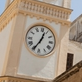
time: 12:34
